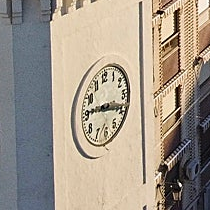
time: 9:18
